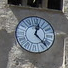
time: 12:22
